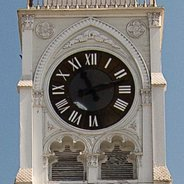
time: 11:12
